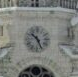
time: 10:26
